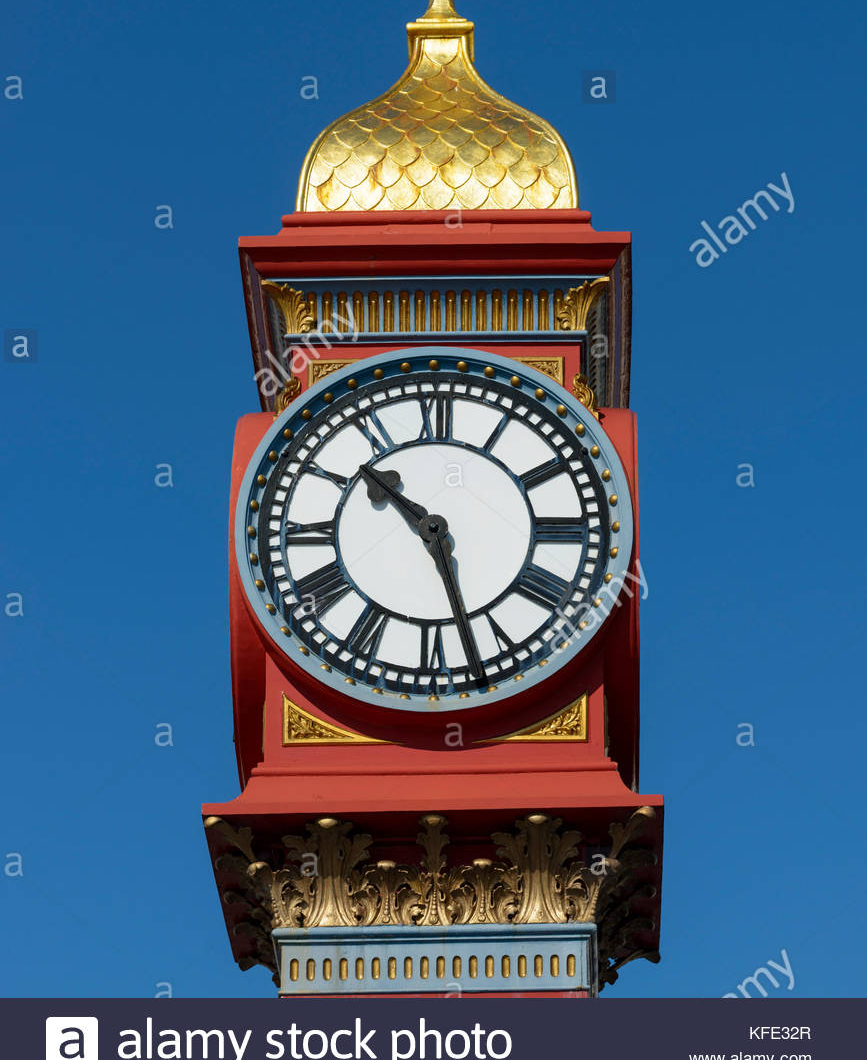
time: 10:27
